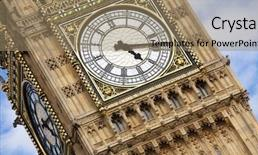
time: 4:13
